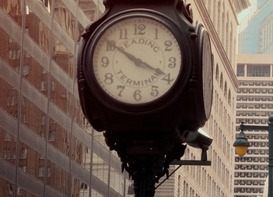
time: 3:50
